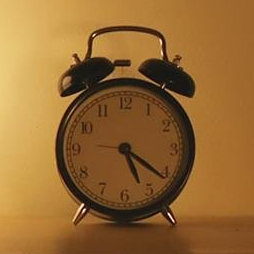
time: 5:21
